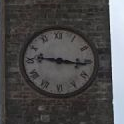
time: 9:16
